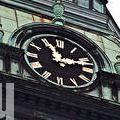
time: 11:12
